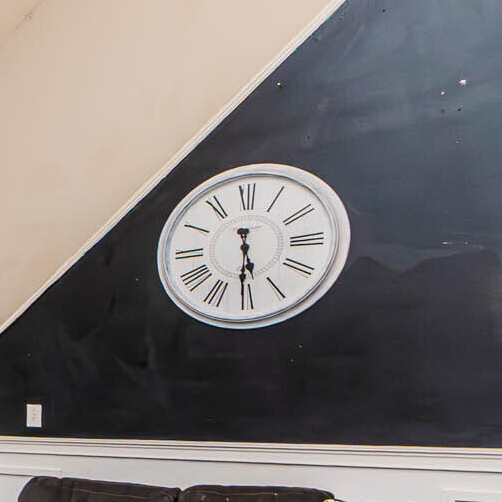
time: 5:30
